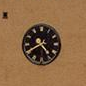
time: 4:40
